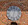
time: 12:32
